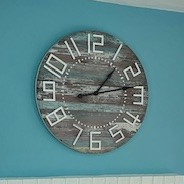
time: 1:13
